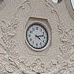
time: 4:12
